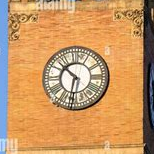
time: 10:32
